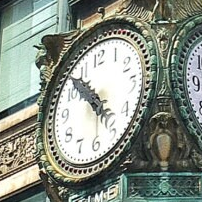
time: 4:51
